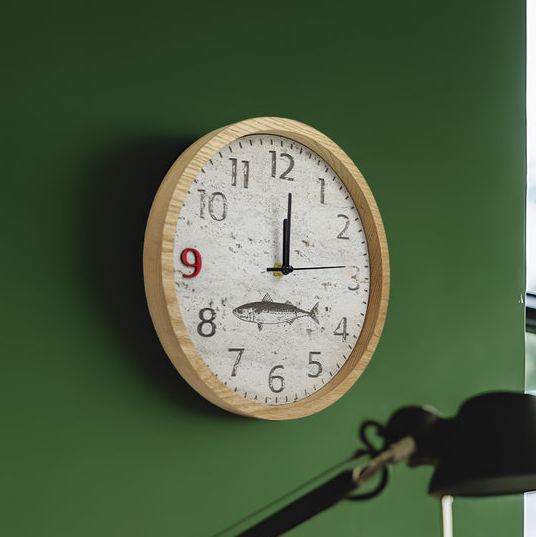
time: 12:00
